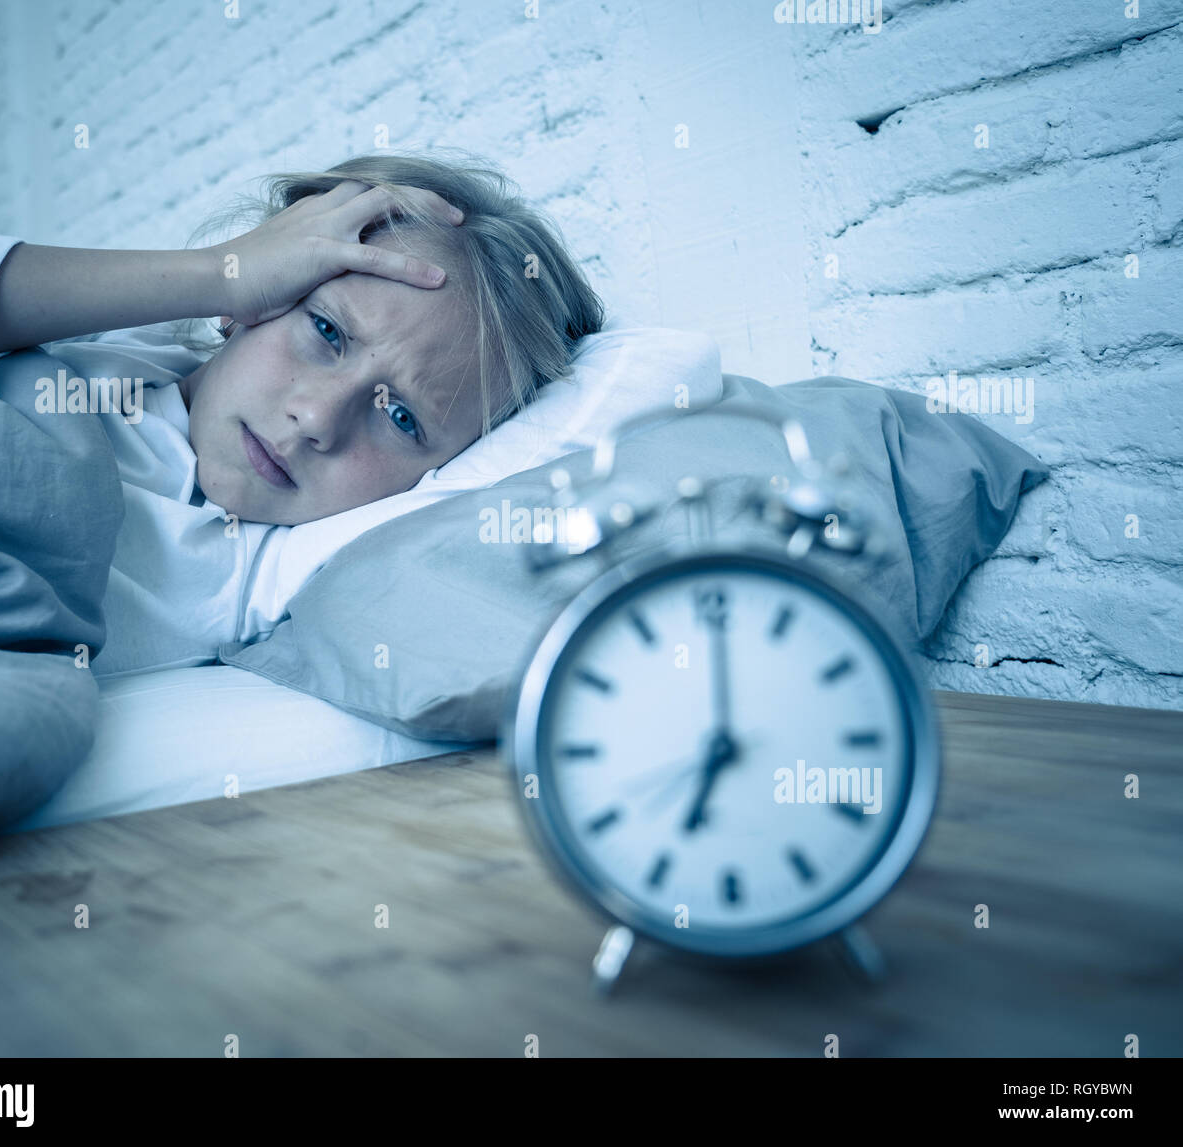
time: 7:00
